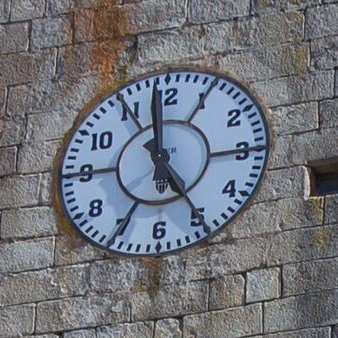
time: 4:58
